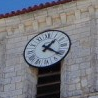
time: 1:21
